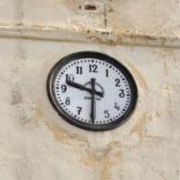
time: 9:30
